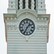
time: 1:34
